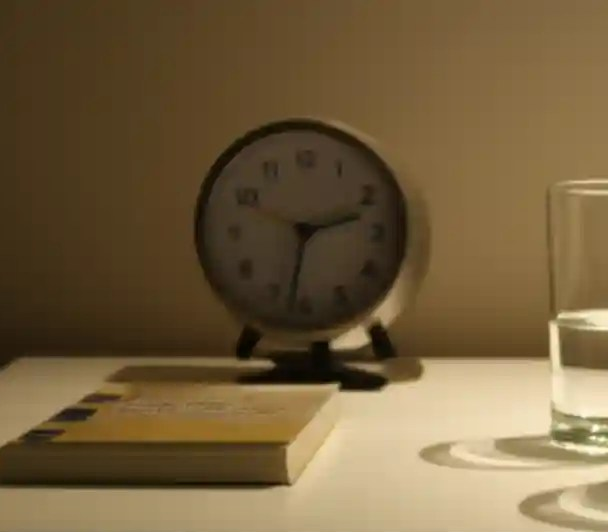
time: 2:32
